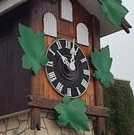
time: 12:52
